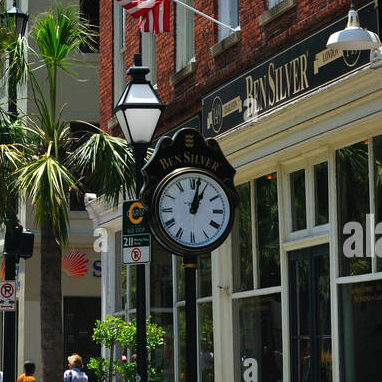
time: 1:02
